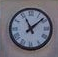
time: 11:08
